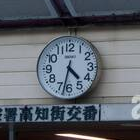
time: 4:32
